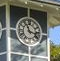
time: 11:17
